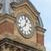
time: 12:38
